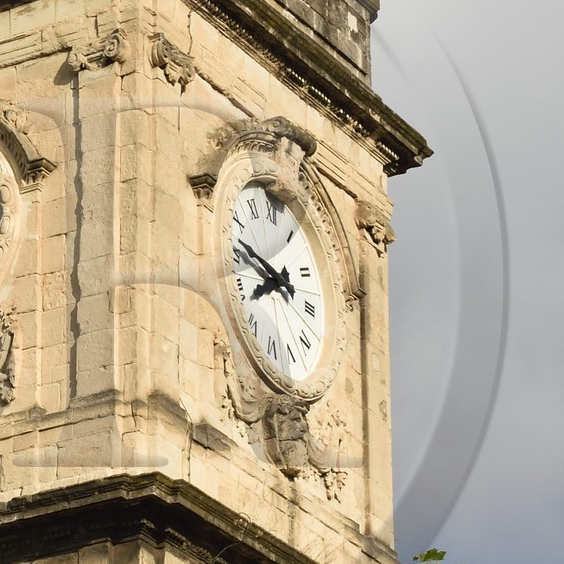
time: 8:47
